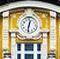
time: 12:32
